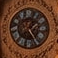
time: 1:24
